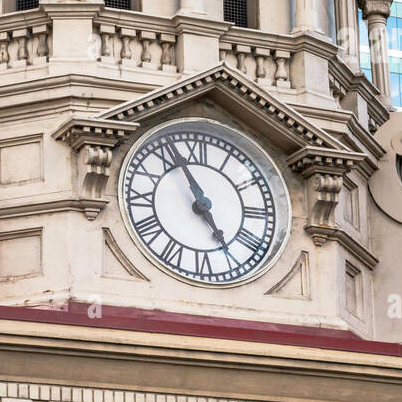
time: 4:56
